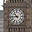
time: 10:43
